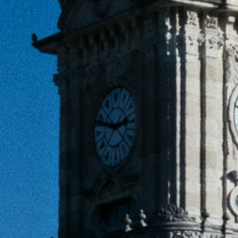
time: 2:48
